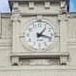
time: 1:17
